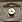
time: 4:42
